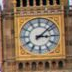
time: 3:08
